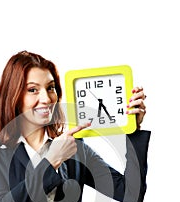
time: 6:25
